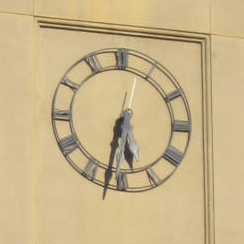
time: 5:32
